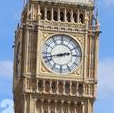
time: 2:42
